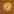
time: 7:37
